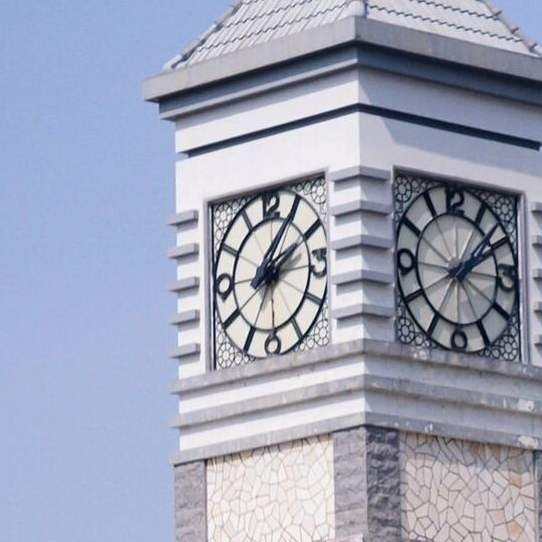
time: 2:05
